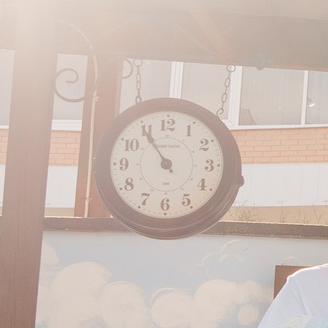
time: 10:54
